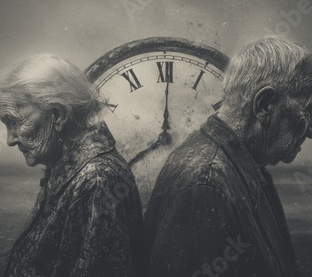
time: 8:00
